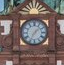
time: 7:07
